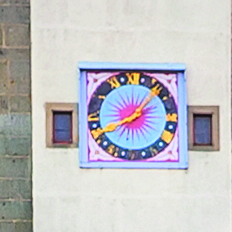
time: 8:06
